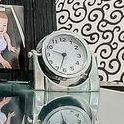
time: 9:33
